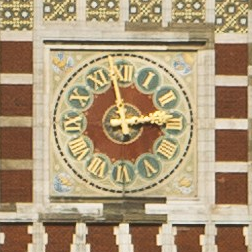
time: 2:58
